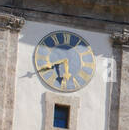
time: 5:40
